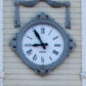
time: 8:54
